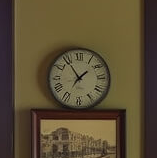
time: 1:54
